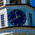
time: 11:39
